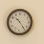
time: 10:23
